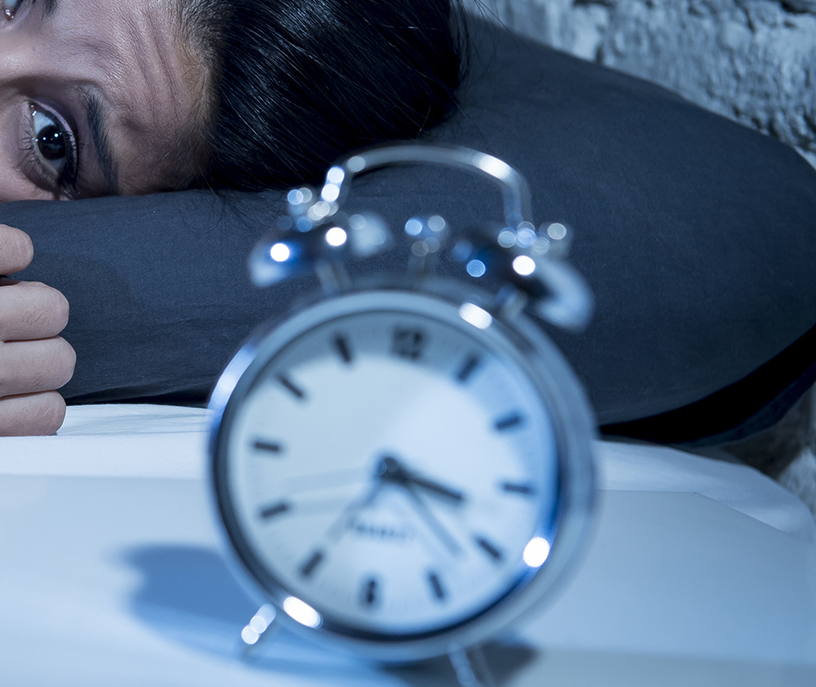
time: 3:22
